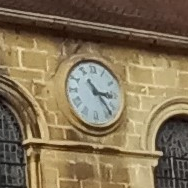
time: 3:23
